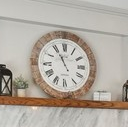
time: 10:55
